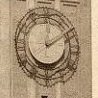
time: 12:09
